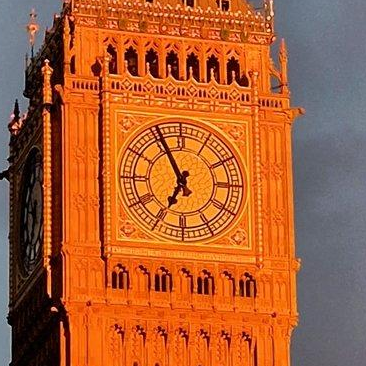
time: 6:55
